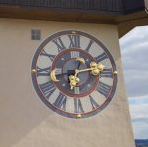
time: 6:43
